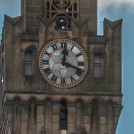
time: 12:18
